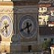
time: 5:40
